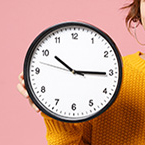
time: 10:15
